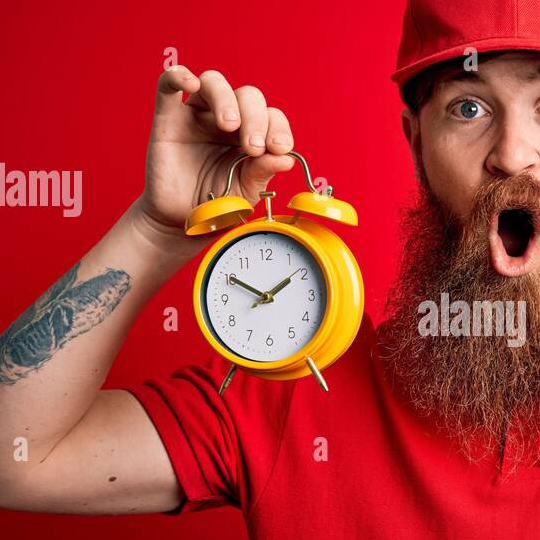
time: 1:50
